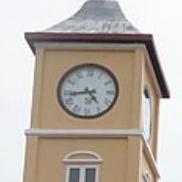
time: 4:43
